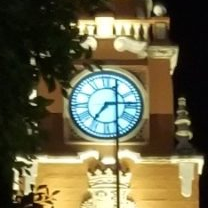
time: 7:14
